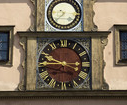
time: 9:45
